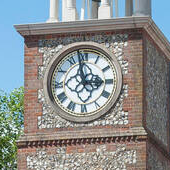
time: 2:58
